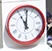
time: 11:01
